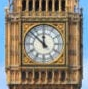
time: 11:52
